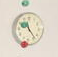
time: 9:23
